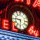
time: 5:45
